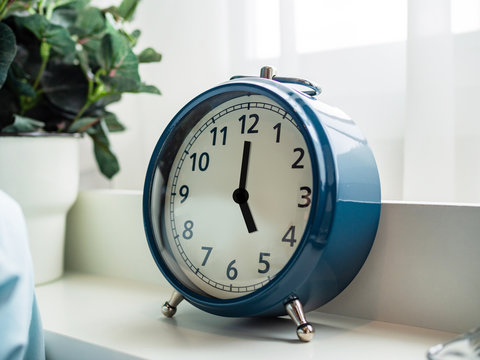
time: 5:00
